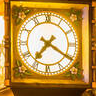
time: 7:20
